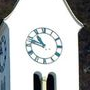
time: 10:47
